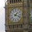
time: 1:18
